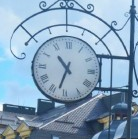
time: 10:32
